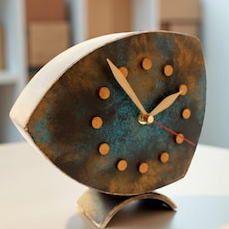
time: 1:54
